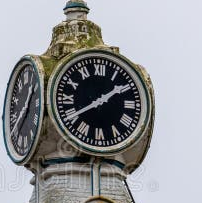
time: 1:39
